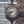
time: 8:38
